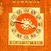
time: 3:46
